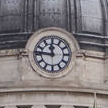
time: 11:46
